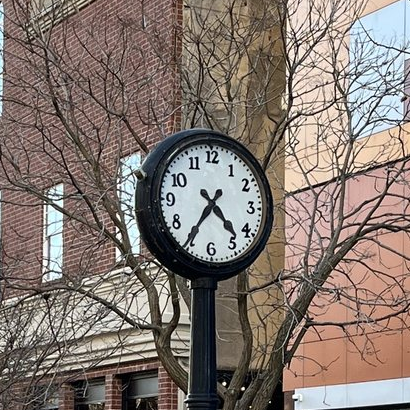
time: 4:35
